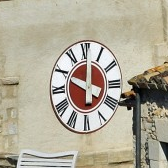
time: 10:00
